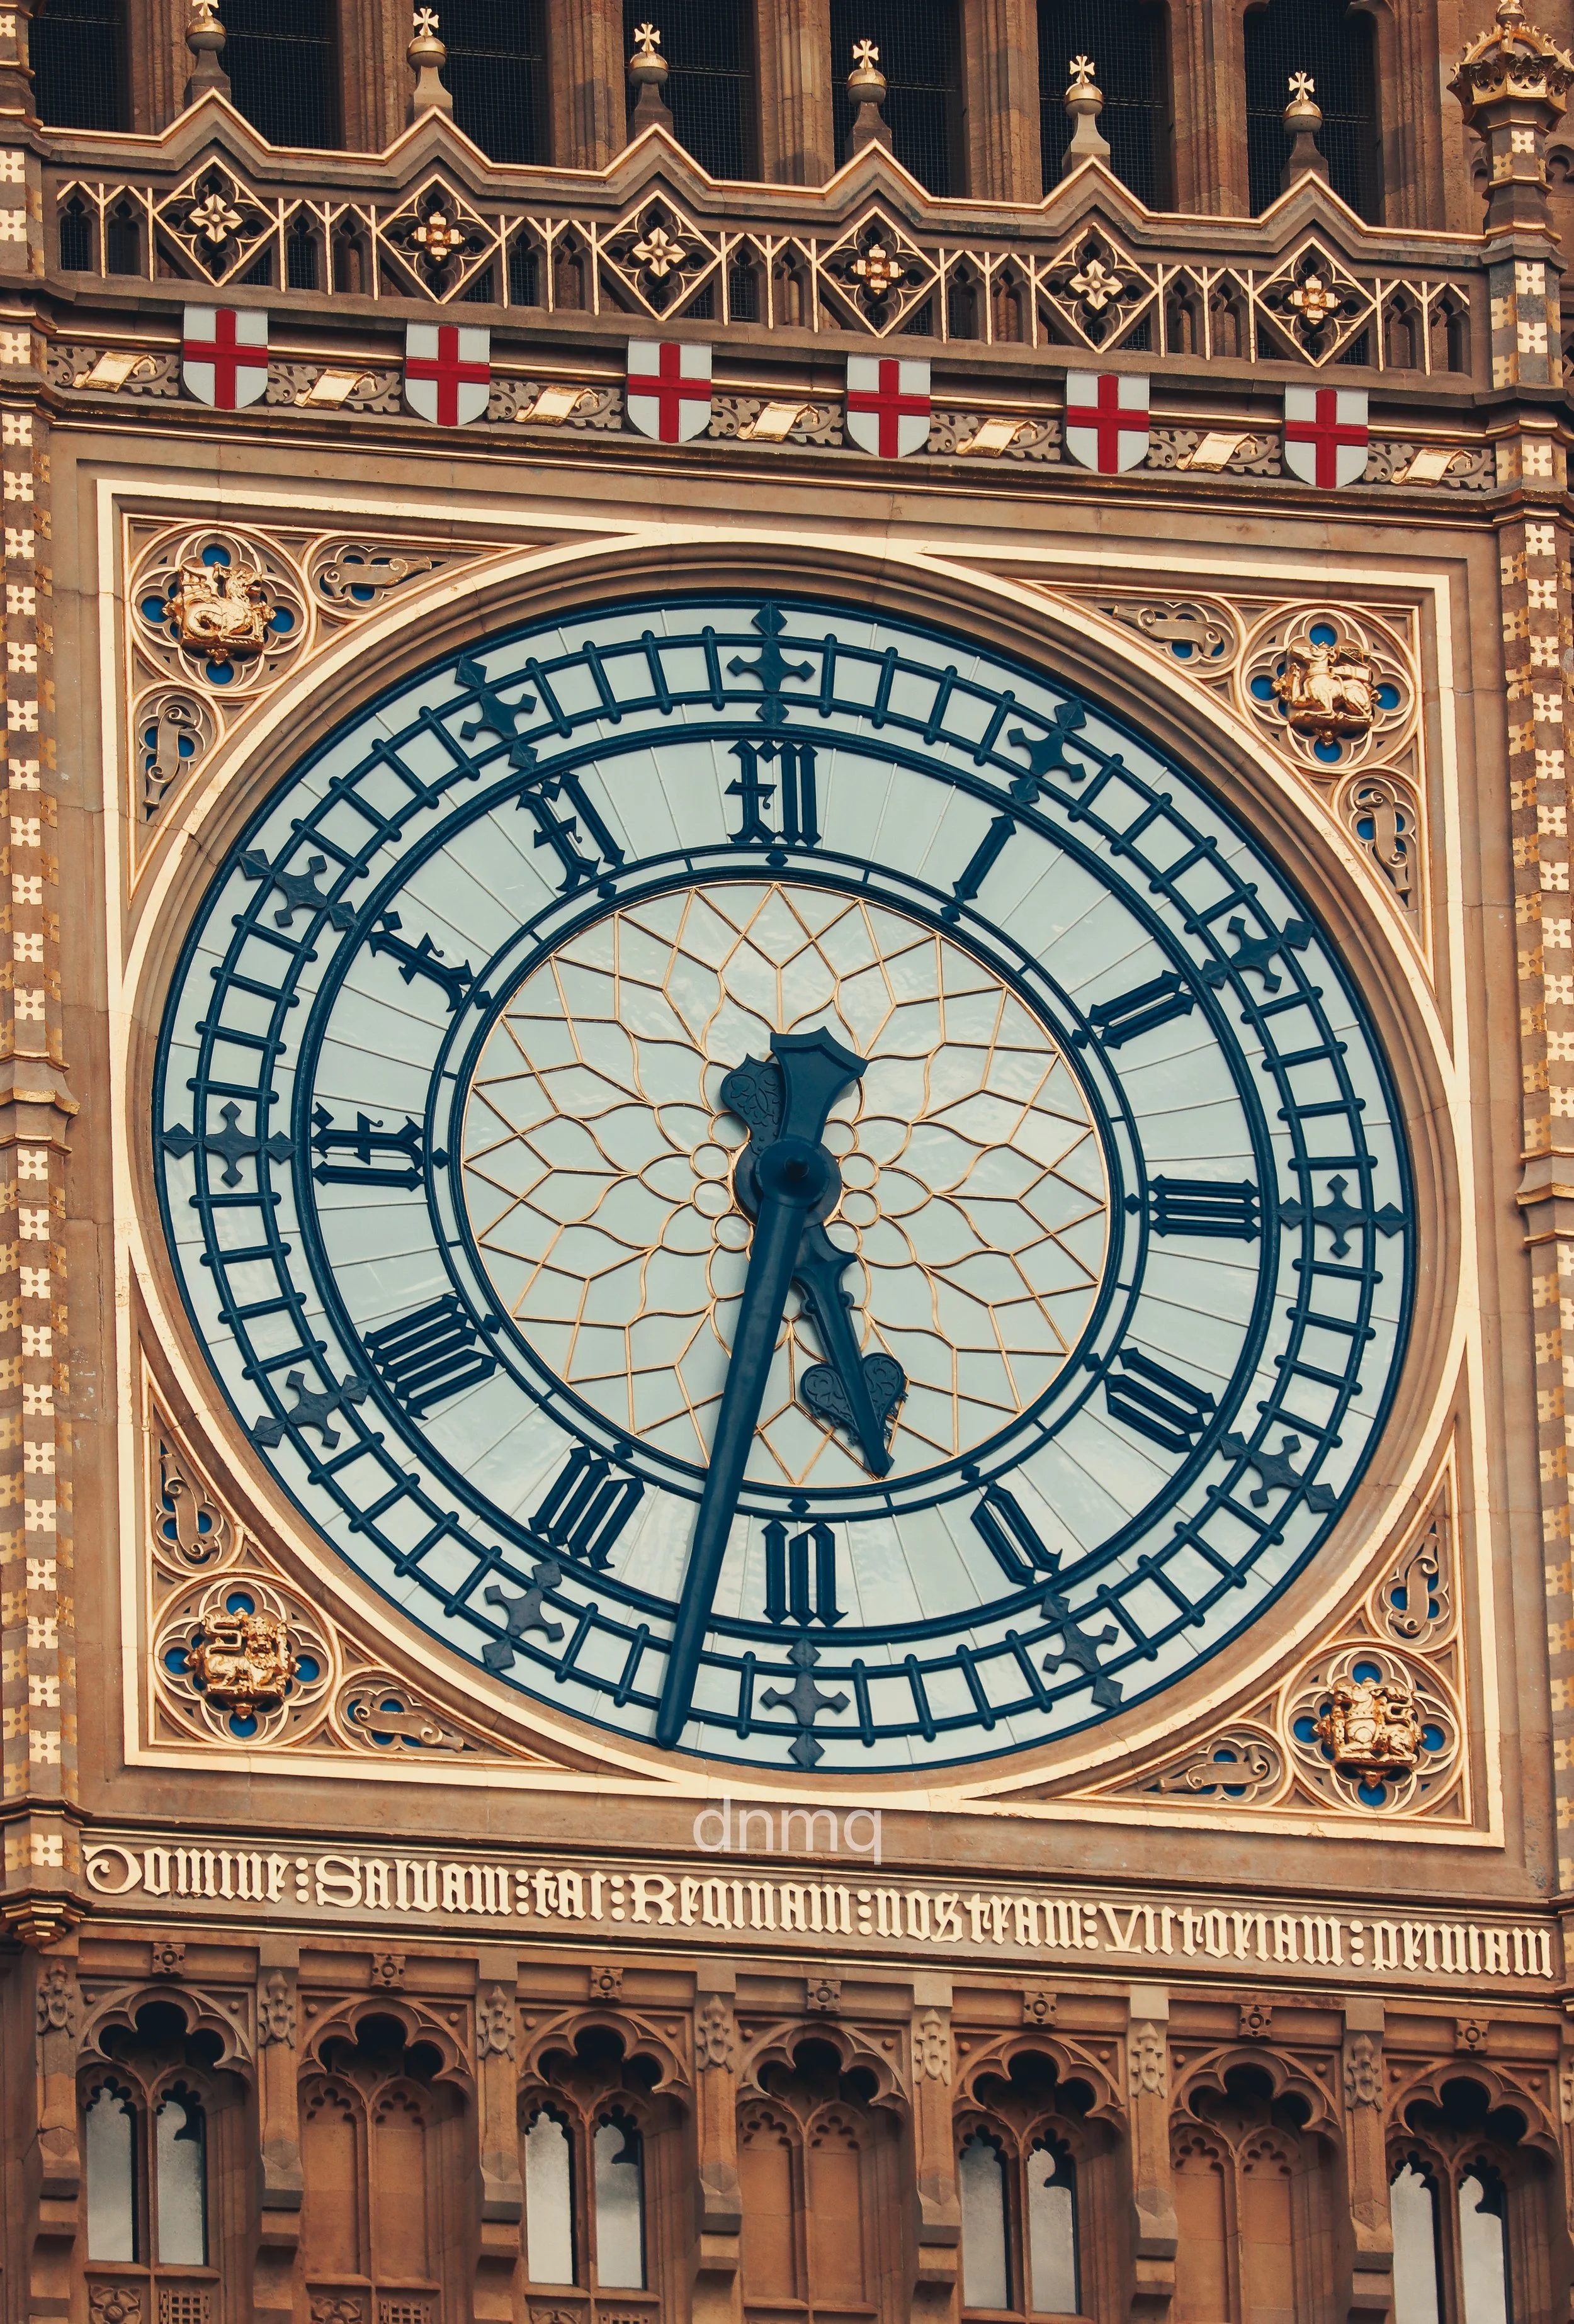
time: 5:31
